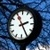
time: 2:25
